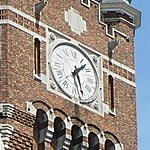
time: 1:28
